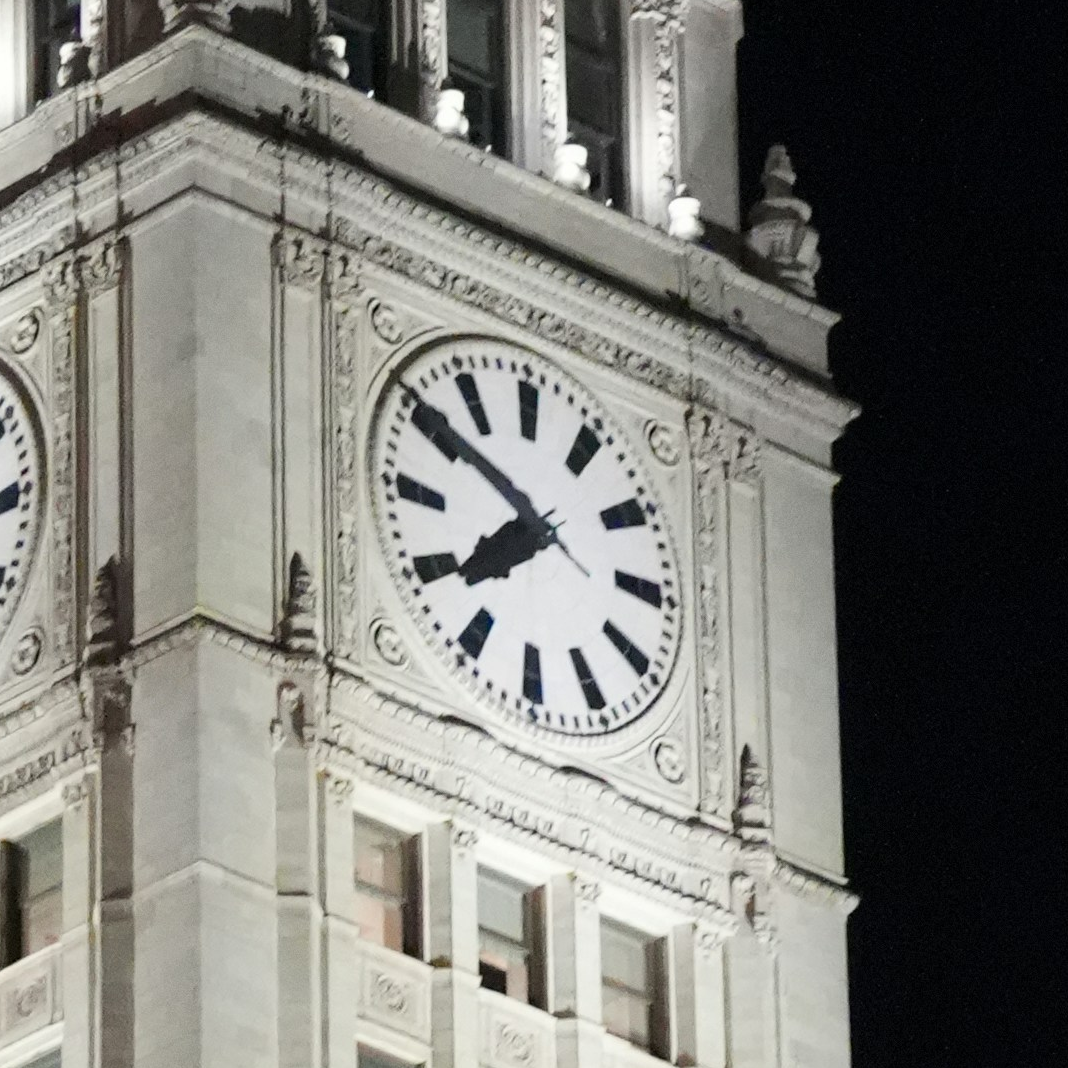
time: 7:49
